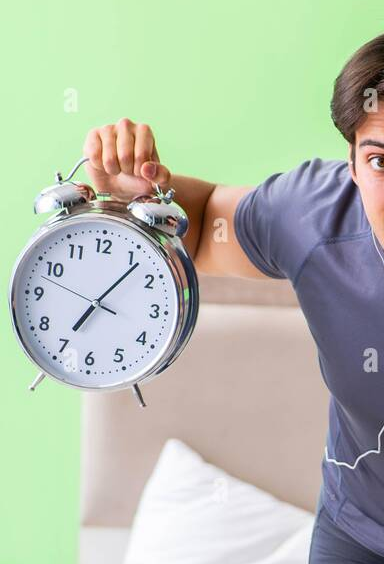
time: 7:06
